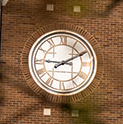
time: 9:10
